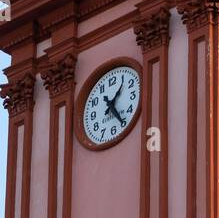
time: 1:24
